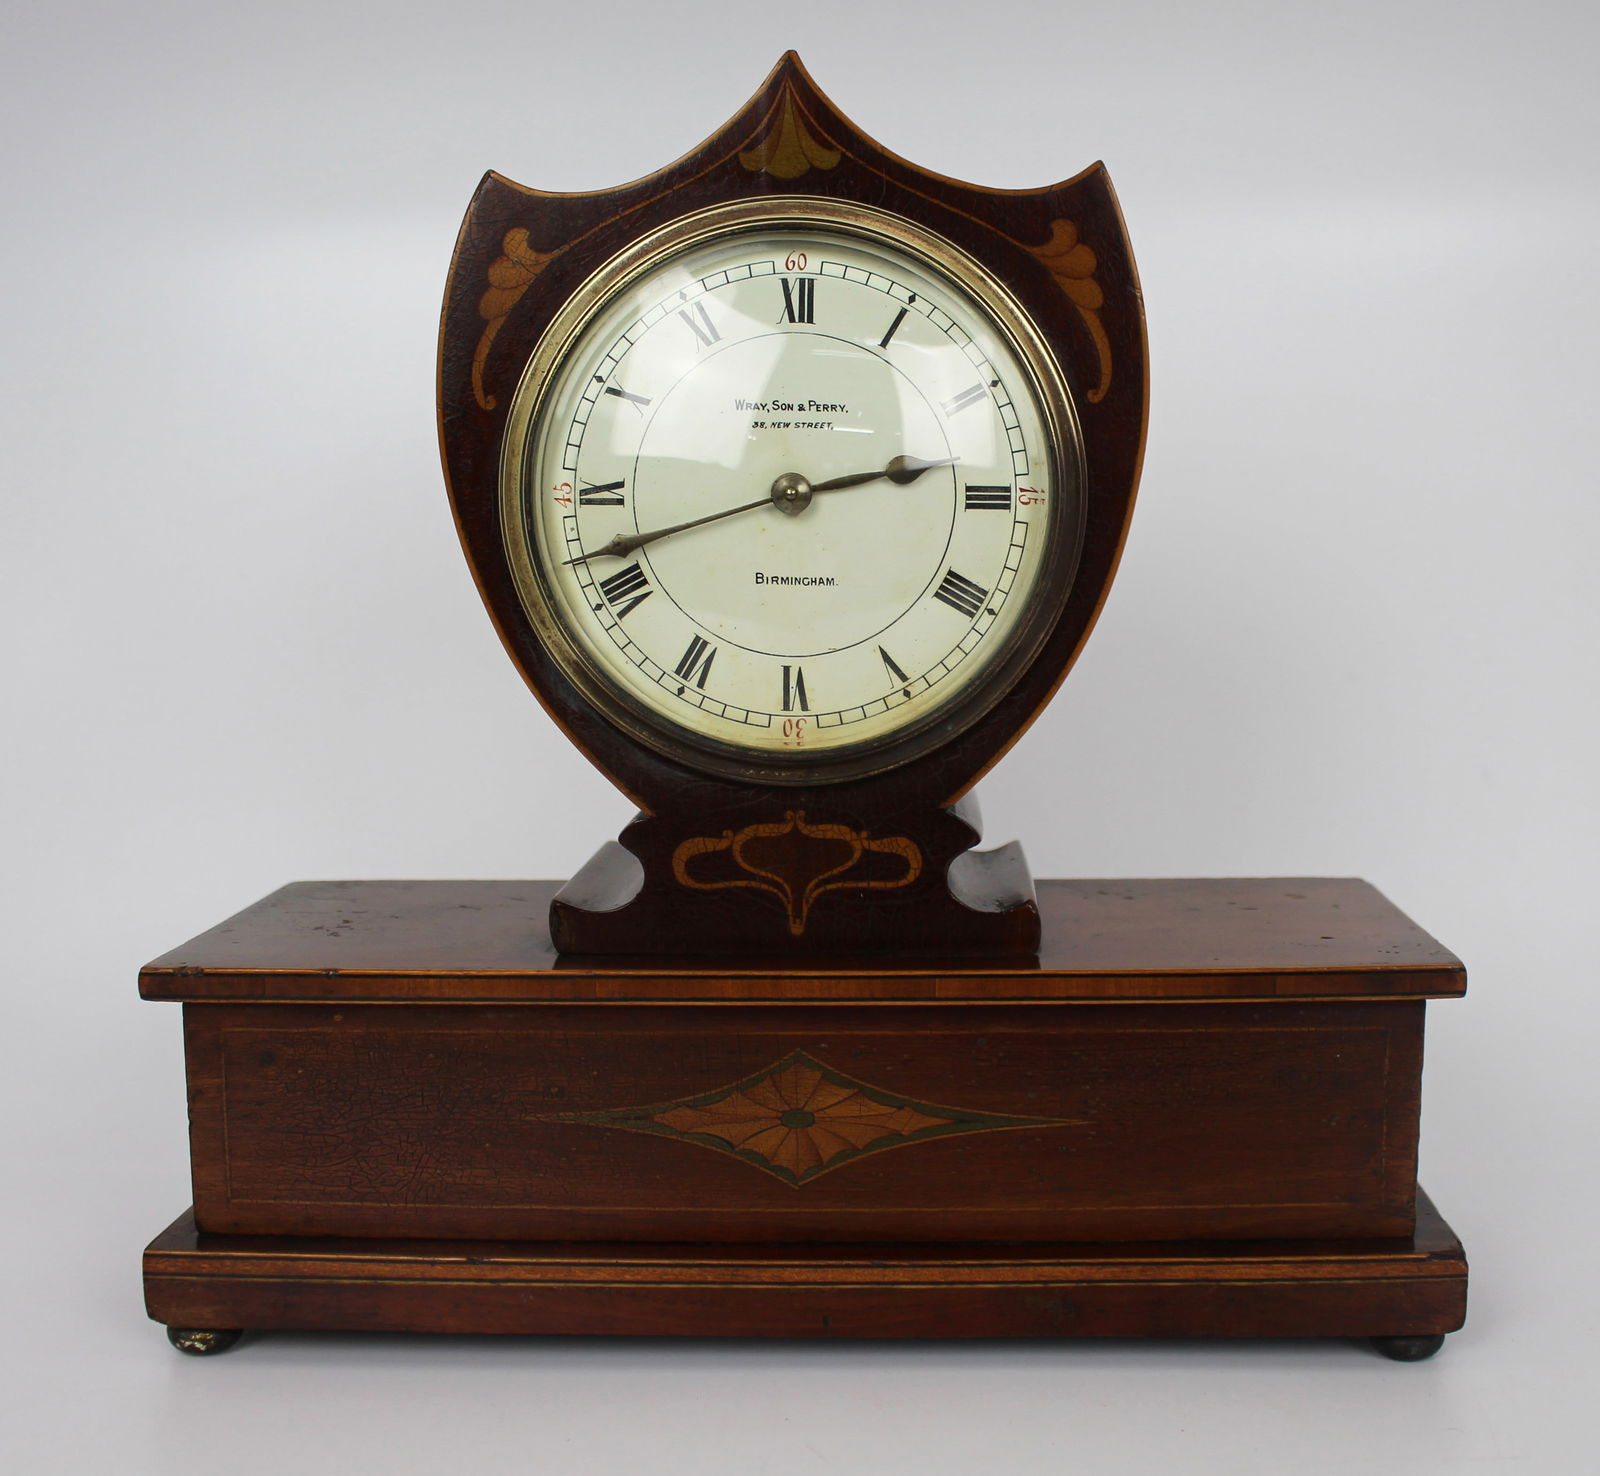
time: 2:41
